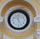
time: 11:25
